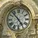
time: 4:52
